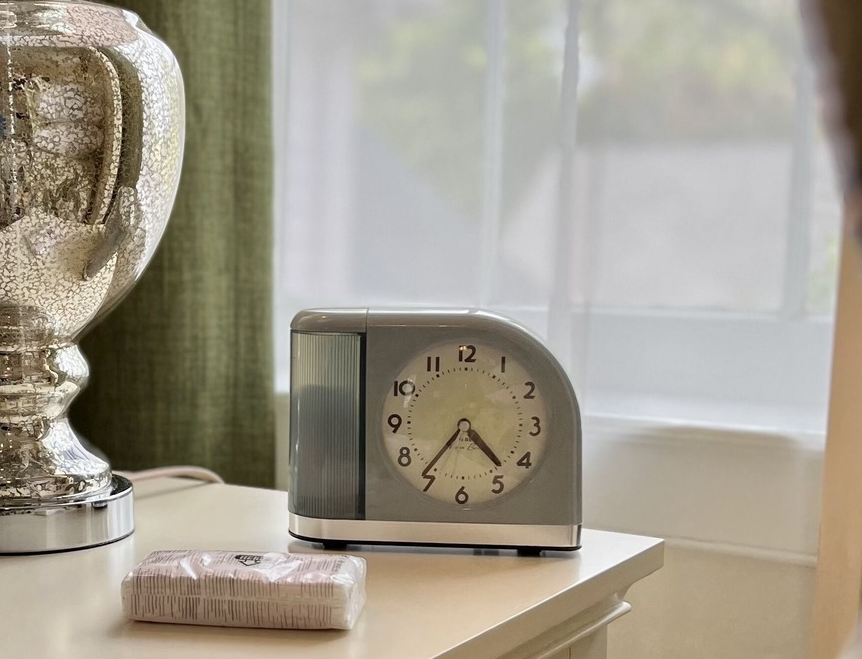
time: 4:36
